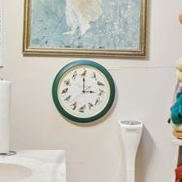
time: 2:59
